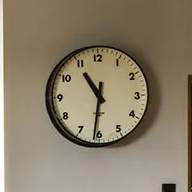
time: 10:31
